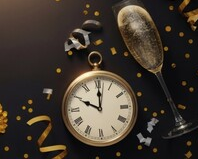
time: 10:00
